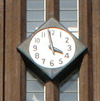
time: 3:58
